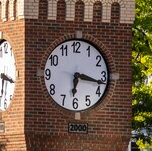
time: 6:17
